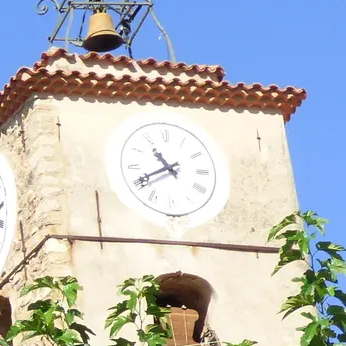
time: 10:40
